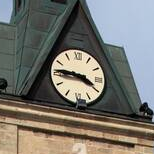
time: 3:45
